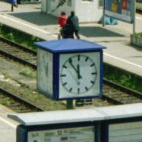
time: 11:53
